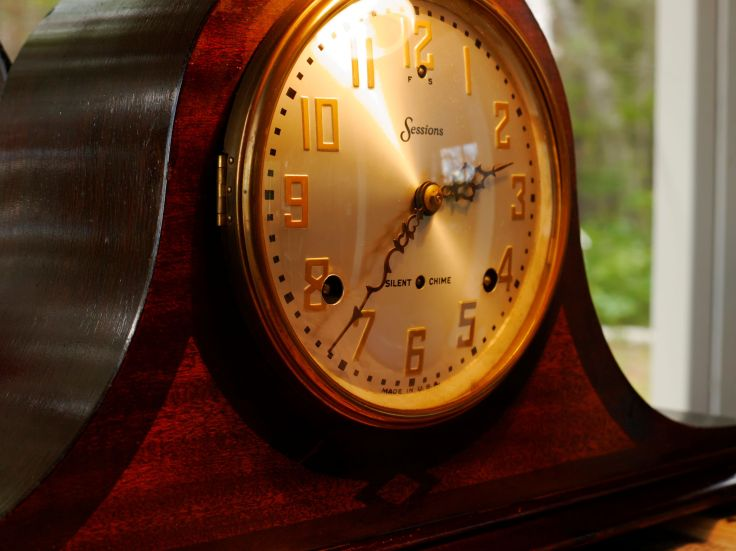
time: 2:36
